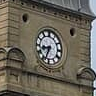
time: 8:34
